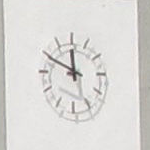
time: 11:49
